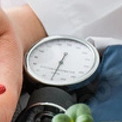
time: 12:32
